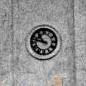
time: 10:47
